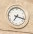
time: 7:17
